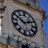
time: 1:50
